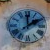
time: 2:00
